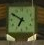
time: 6:50
